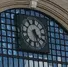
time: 5:20
